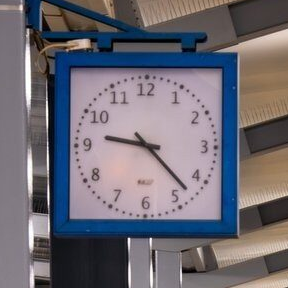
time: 9:22
